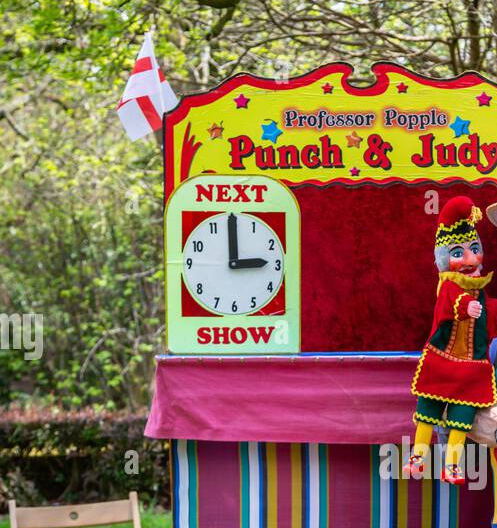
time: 2:59
